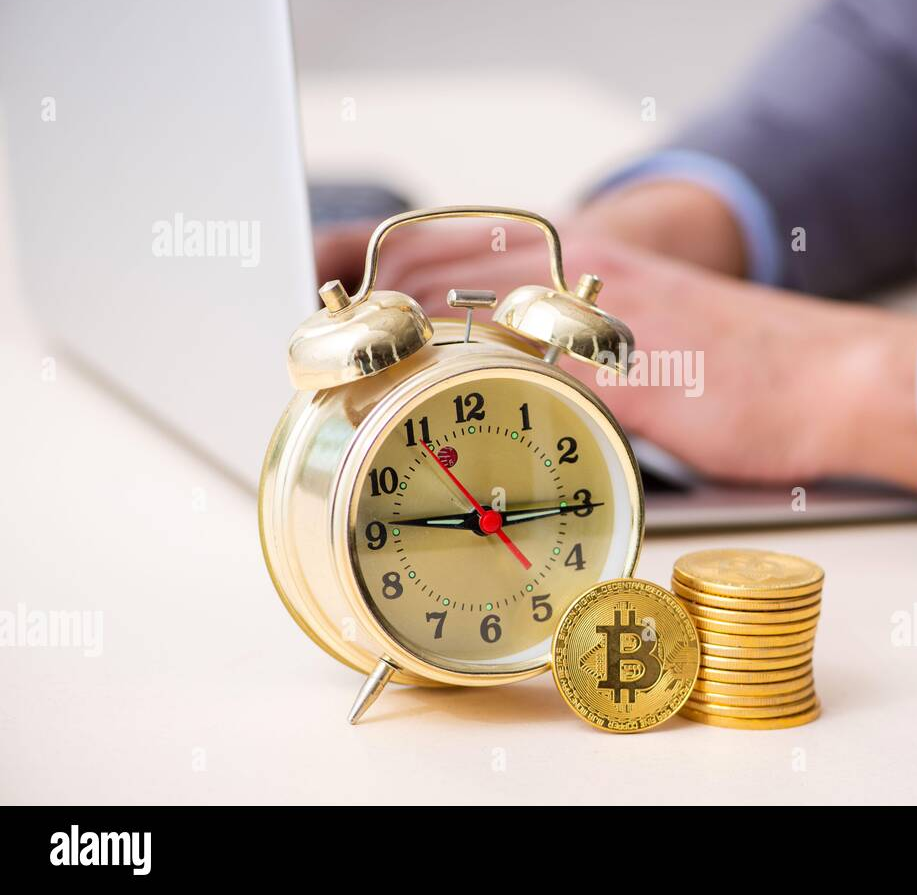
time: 9:14
